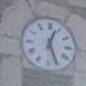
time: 12:26
